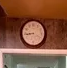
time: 8:43
